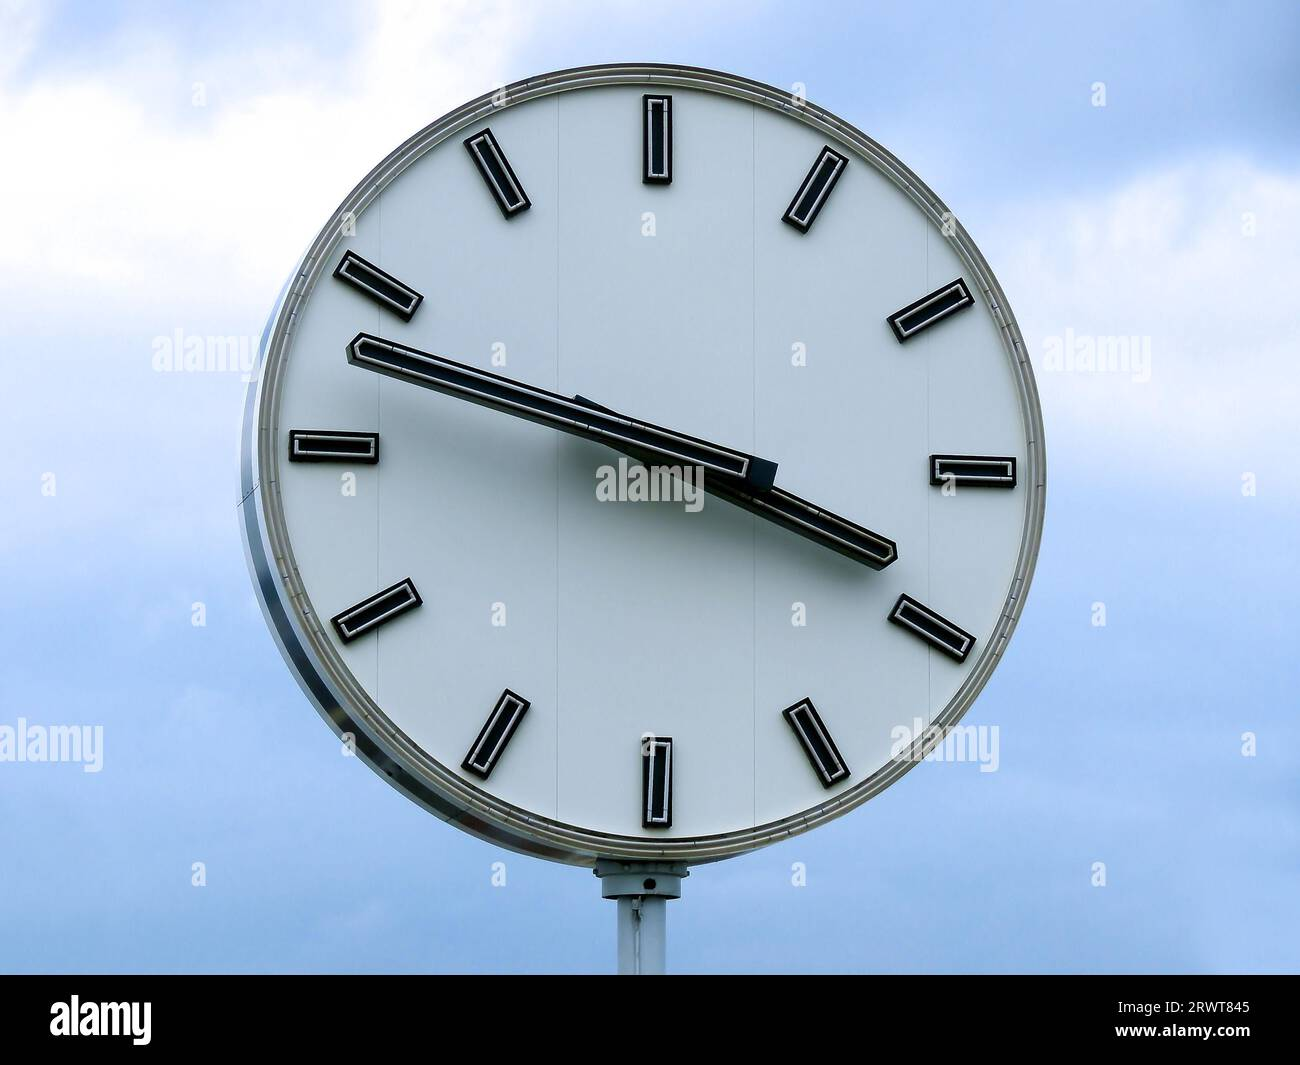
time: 3:47
